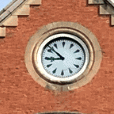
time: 8:52
